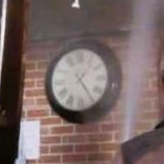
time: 1:24
